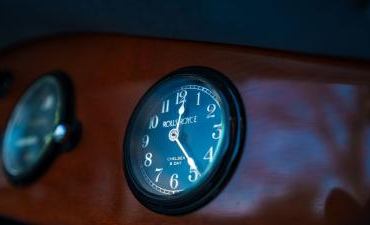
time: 12:23
